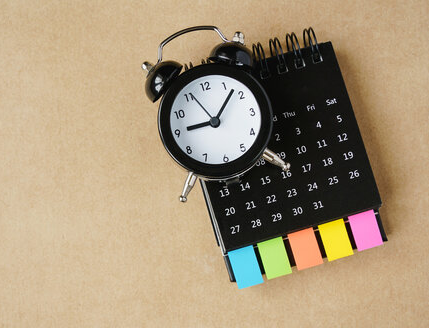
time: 9:07
